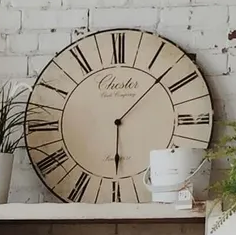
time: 6:07
